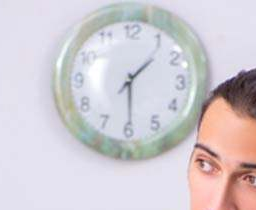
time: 1:29
